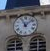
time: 11:07
